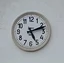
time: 5:11
